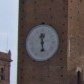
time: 11:28
